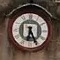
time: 6:25
